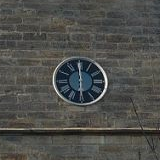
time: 5:59
